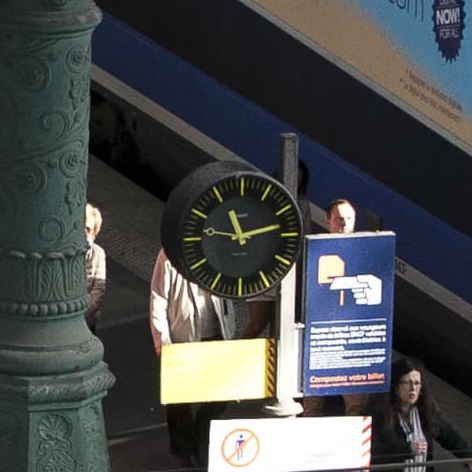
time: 11:12
